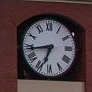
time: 6:43
